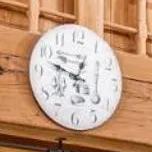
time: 12:48
